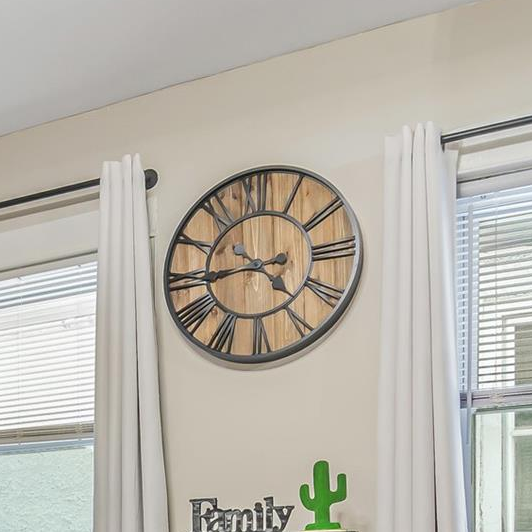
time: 4:44
